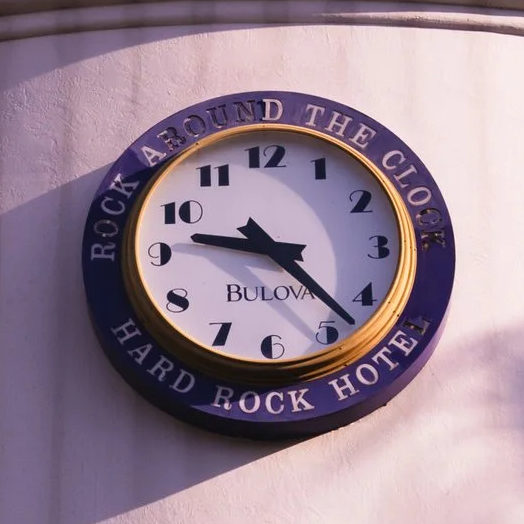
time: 9:22
